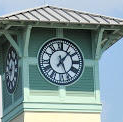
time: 1:26
